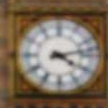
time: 4:12
